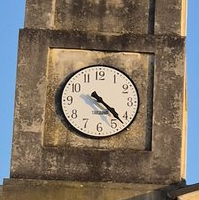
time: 4:22
